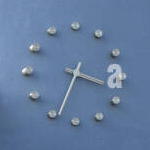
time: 3:33
